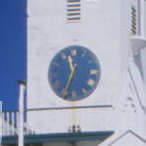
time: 11:33
